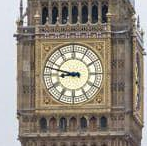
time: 8:47
